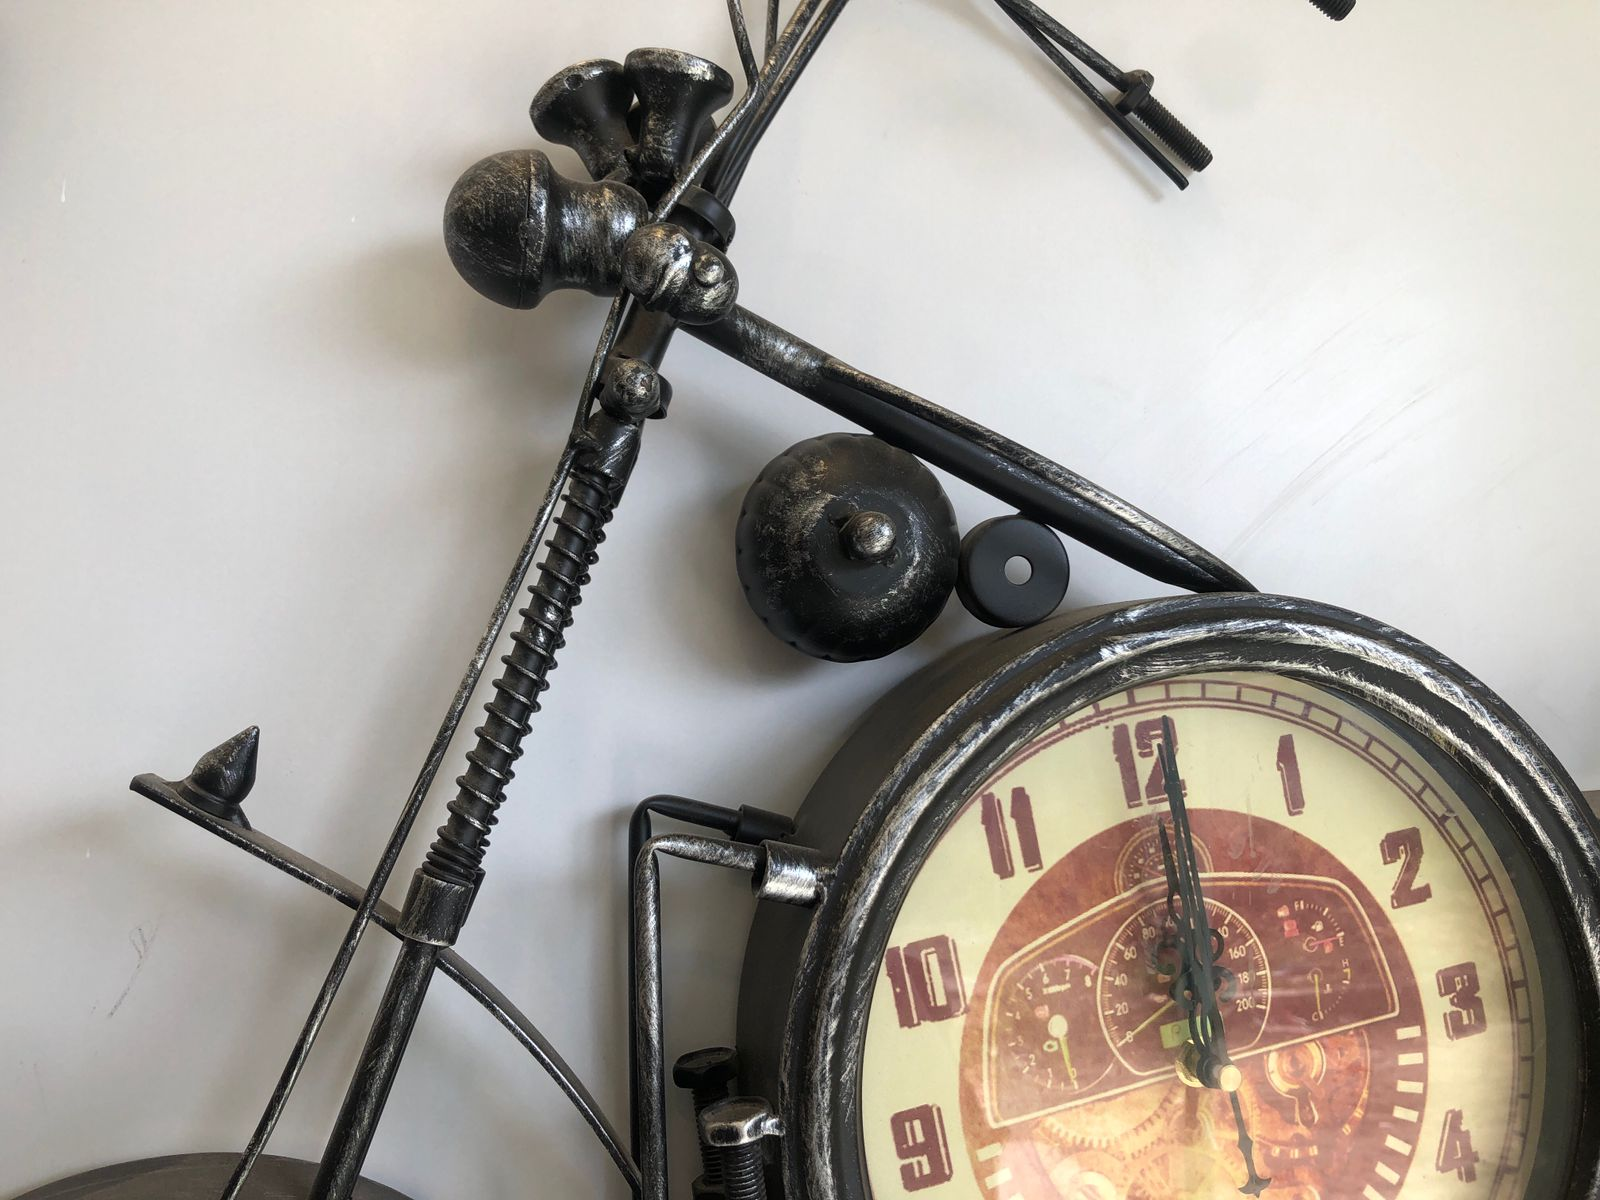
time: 12:00
